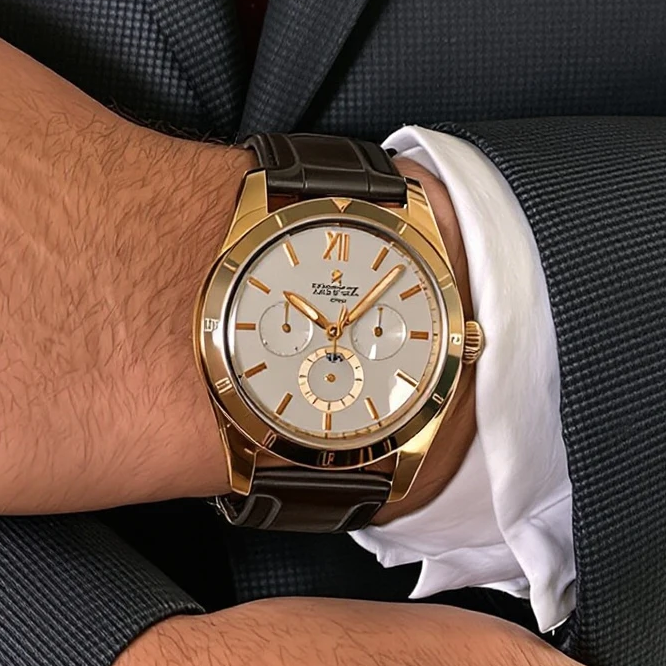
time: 10:07
